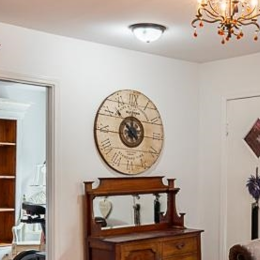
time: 11:52
